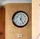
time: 12:24
